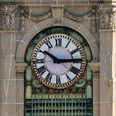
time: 10:14
